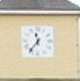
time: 11:36
